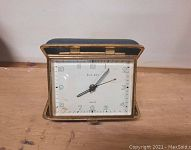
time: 8:06
